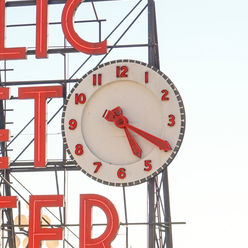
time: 5:19
